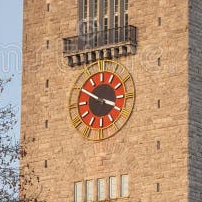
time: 3:50
